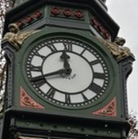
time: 11:41
